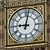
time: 9:01
